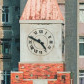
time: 4:48
